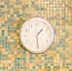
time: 1:28
